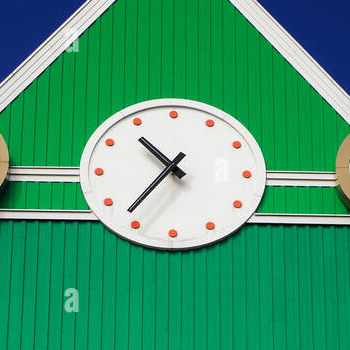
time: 10:36
